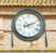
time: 2:11
